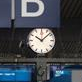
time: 10:07
